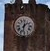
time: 1:32
